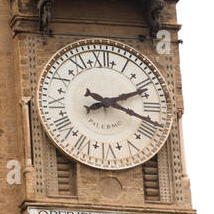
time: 2:18
